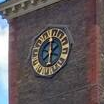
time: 1:59
